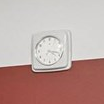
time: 4:17
